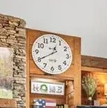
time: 12:40
